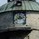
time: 2:40
